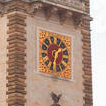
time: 1:33
